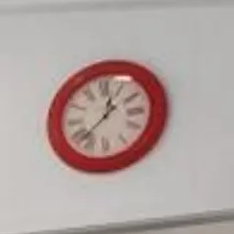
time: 12:37
